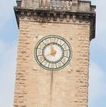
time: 7:57
